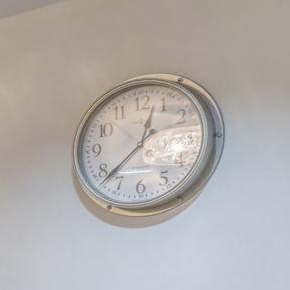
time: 12:38
